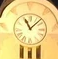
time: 11:07
